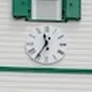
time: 11:35
